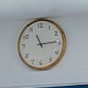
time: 11:14
